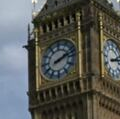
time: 2:11
